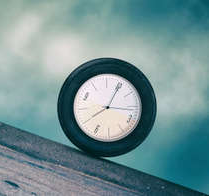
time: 8:04
